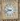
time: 9:42
